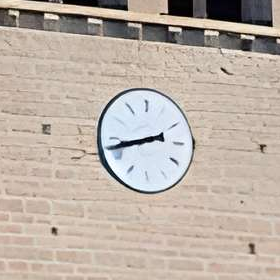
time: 8:42
